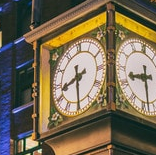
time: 8:29
